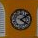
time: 4:09
